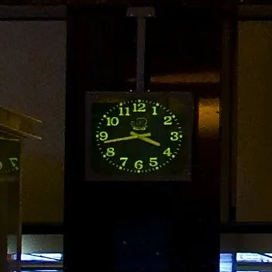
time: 3:43
